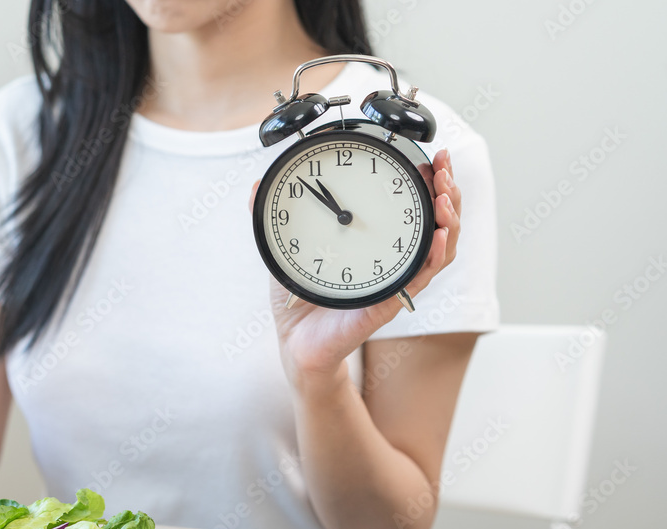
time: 10:52
